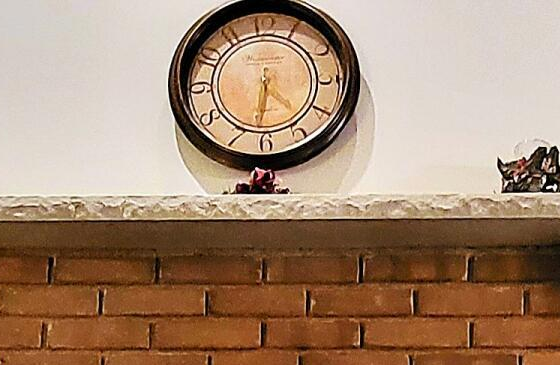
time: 4:31
